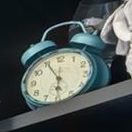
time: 5:55
